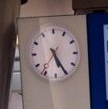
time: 5:25
